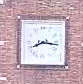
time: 8:16
